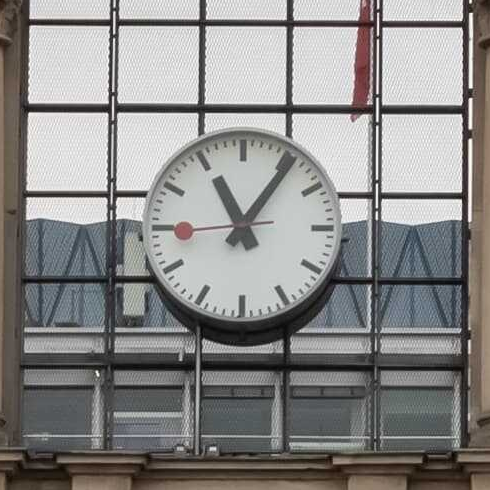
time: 11:06
